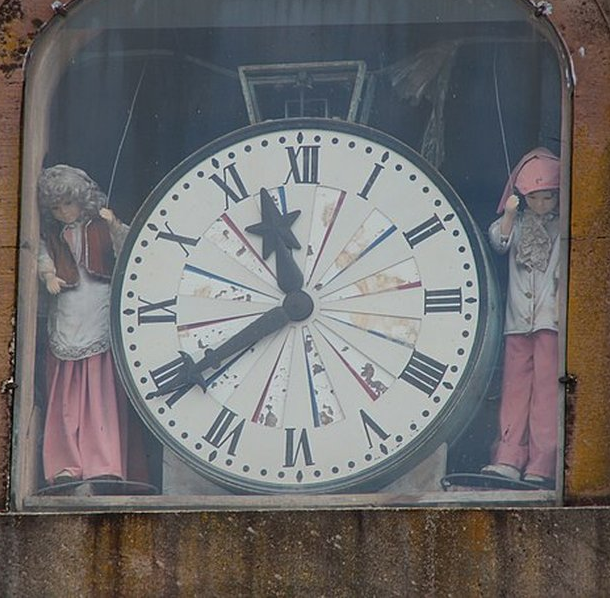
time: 11:39
